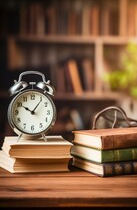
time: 10:06
